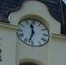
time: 11:32
